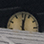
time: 12:02
